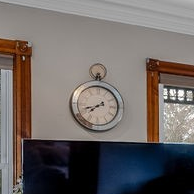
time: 7:42
